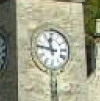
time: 11:46
